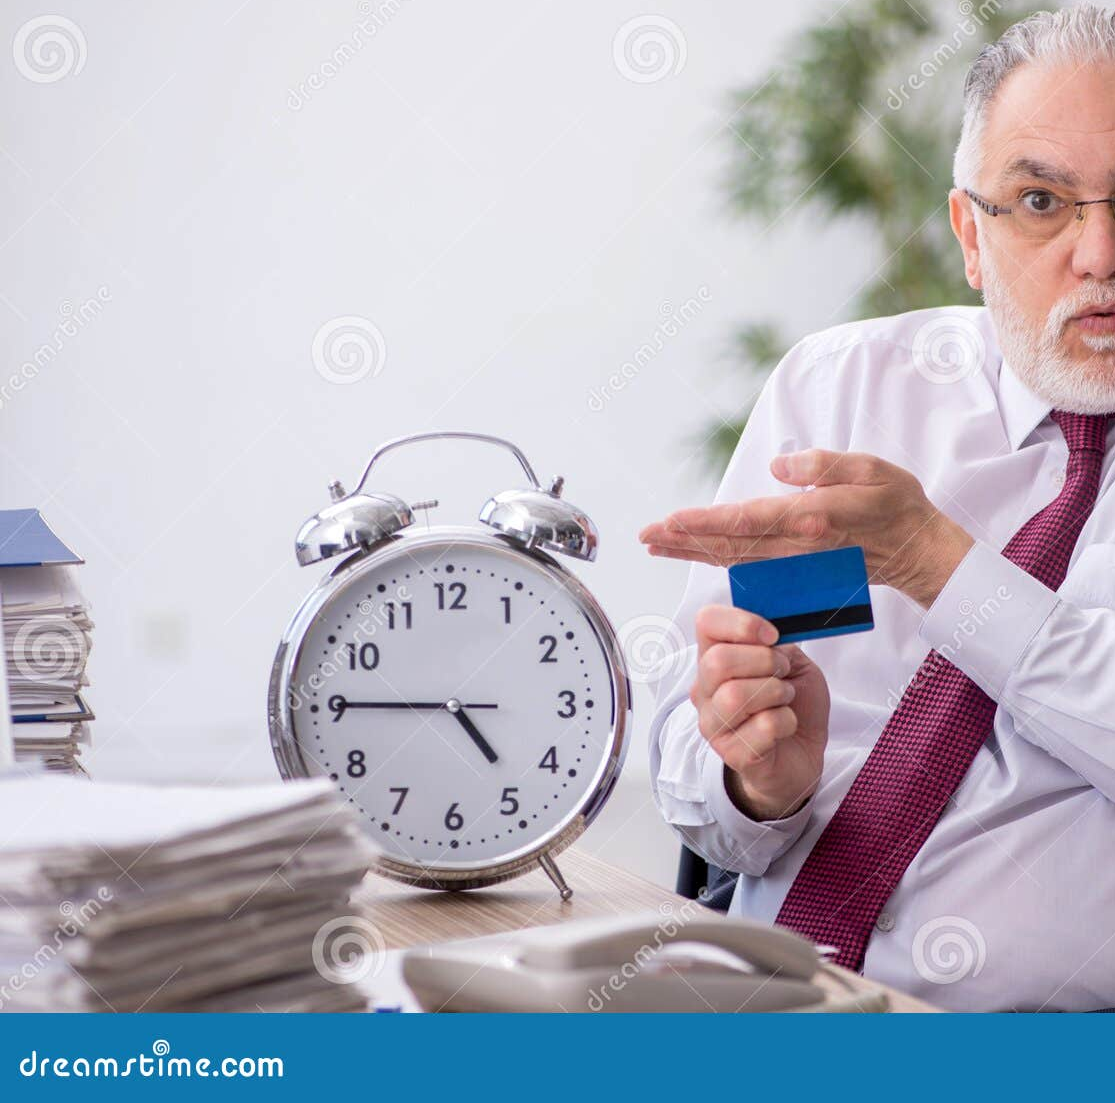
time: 4:45
